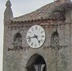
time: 4:42
